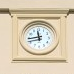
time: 11:43
